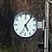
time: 5:06
